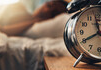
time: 11:40
